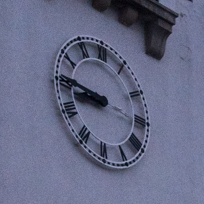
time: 8:45
